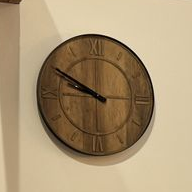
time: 9:50
